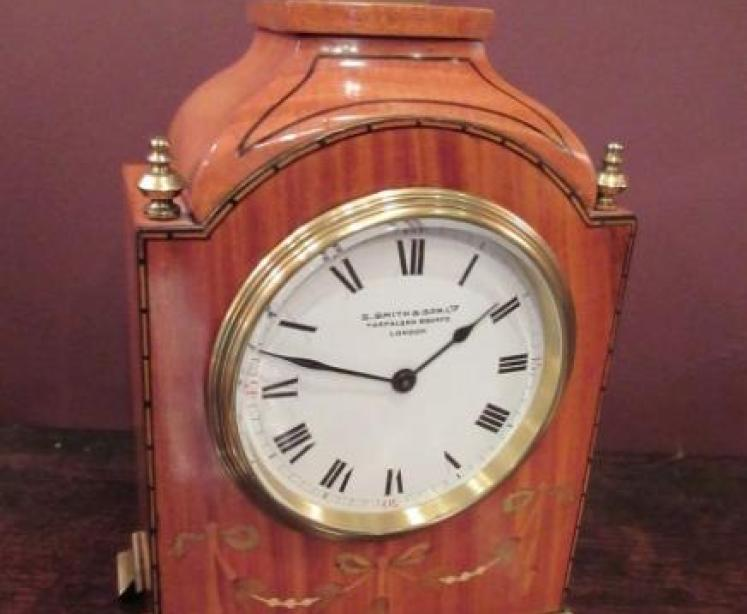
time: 1:47
